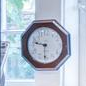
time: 9:30
